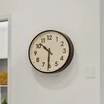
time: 10:30
